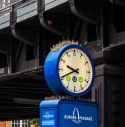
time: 9:41
